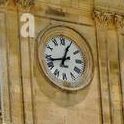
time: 12:43
